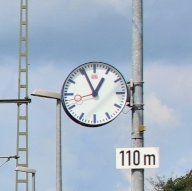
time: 12:55
